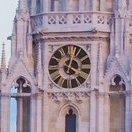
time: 4:02
